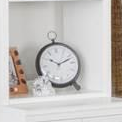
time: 10:11
